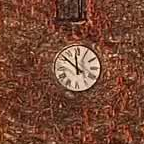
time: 11:51
